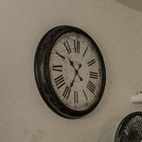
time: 10:34
